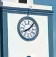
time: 8:07
